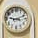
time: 9:11
